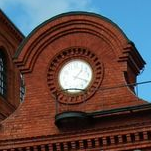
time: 1:18
